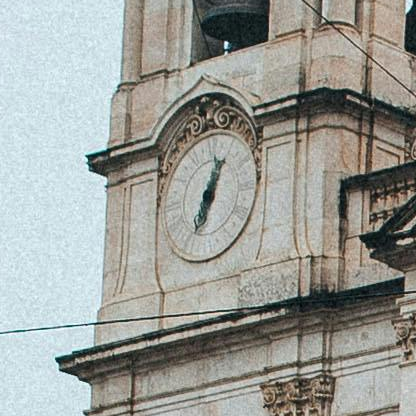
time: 6:32
